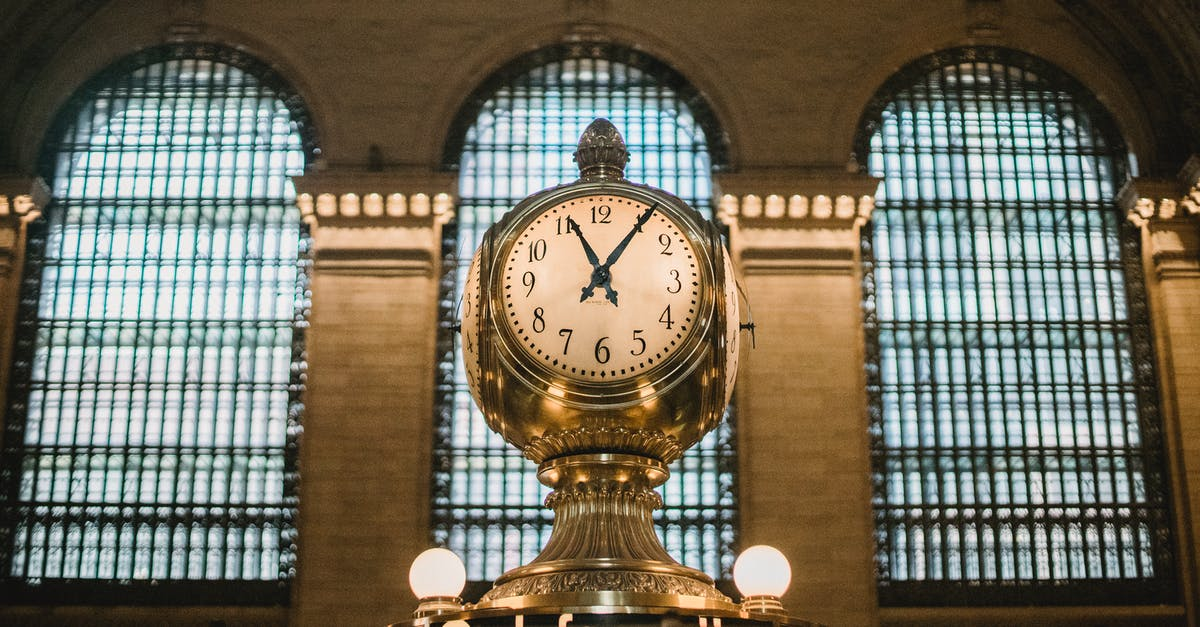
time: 11:07
